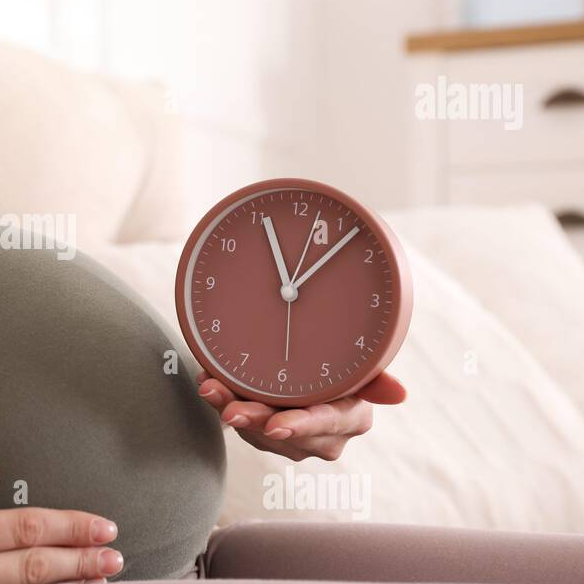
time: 11:07
